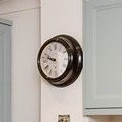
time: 9:47
